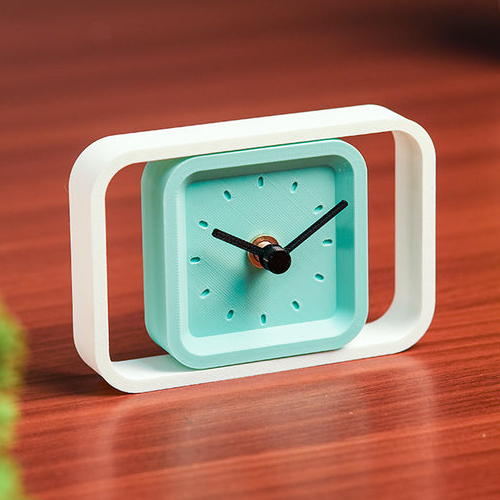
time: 10:10
